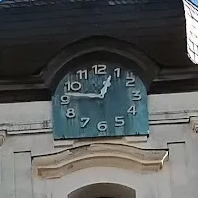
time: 12:46
